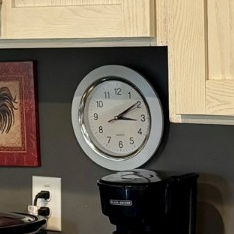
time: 3:09
